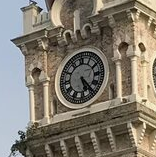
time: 5:23
